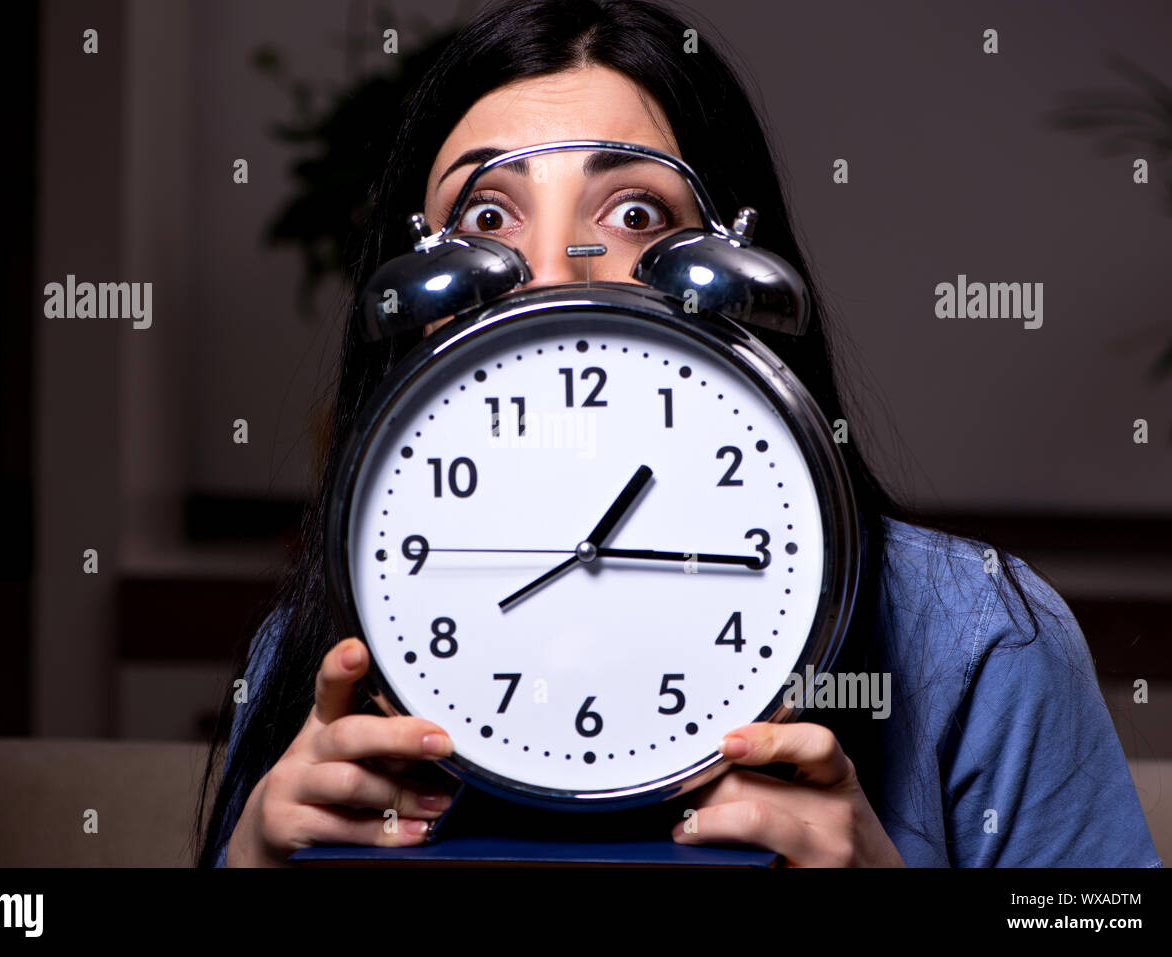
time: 1:15
